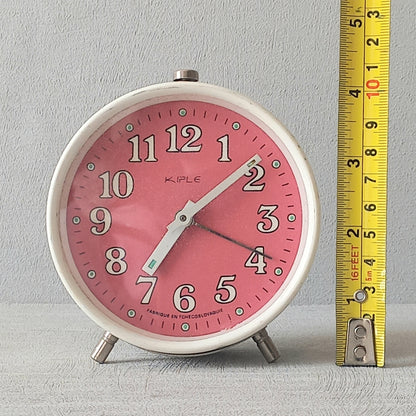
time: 7:08
